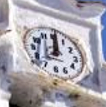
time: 12:00
